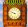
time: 9:48
